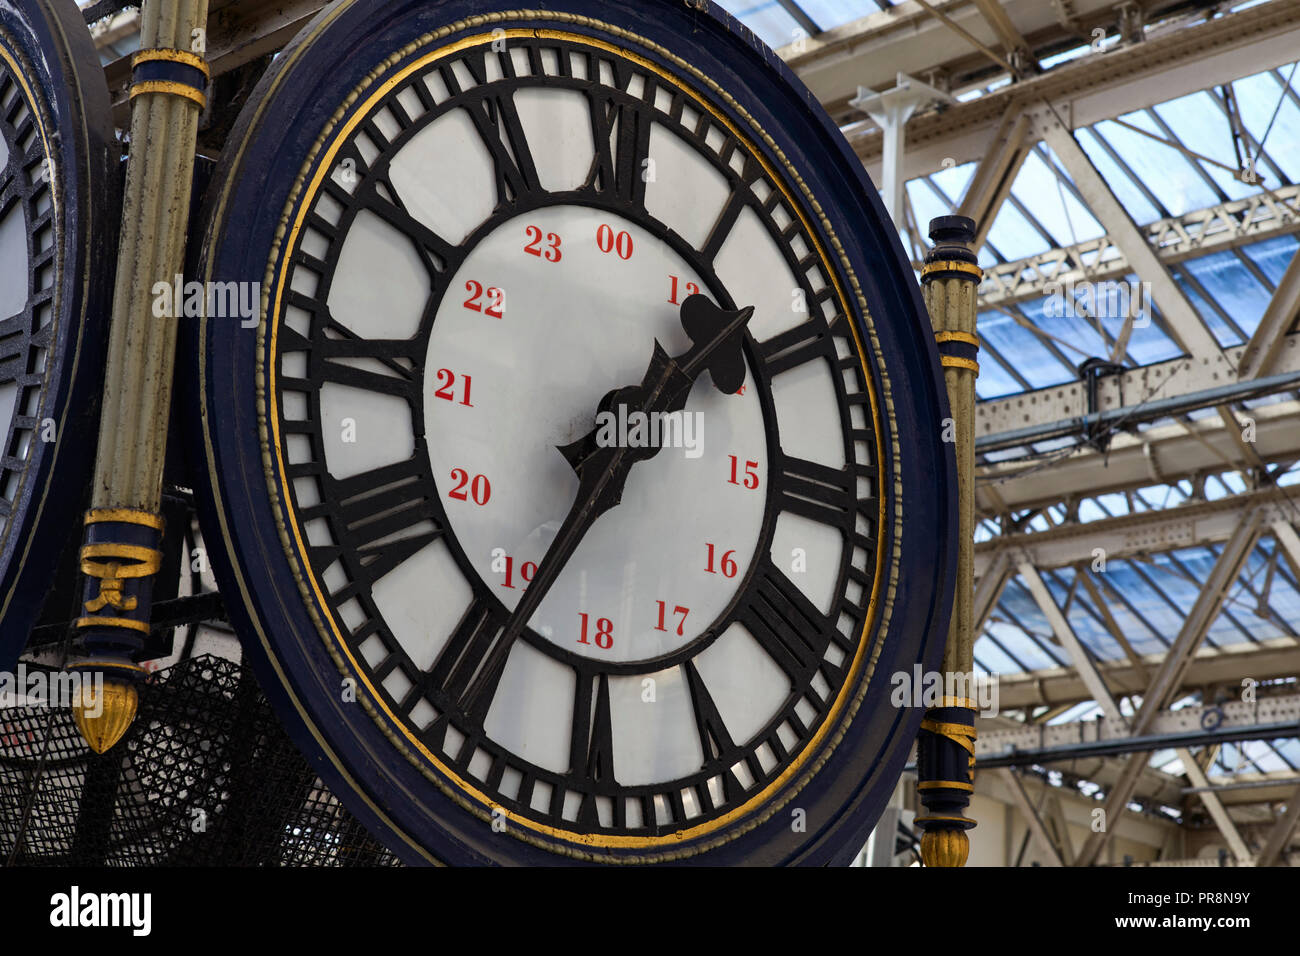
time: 1:34
